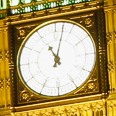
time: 11:02
